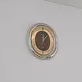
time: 12:07
